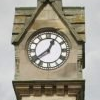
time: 12:39
